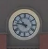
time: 10:47
